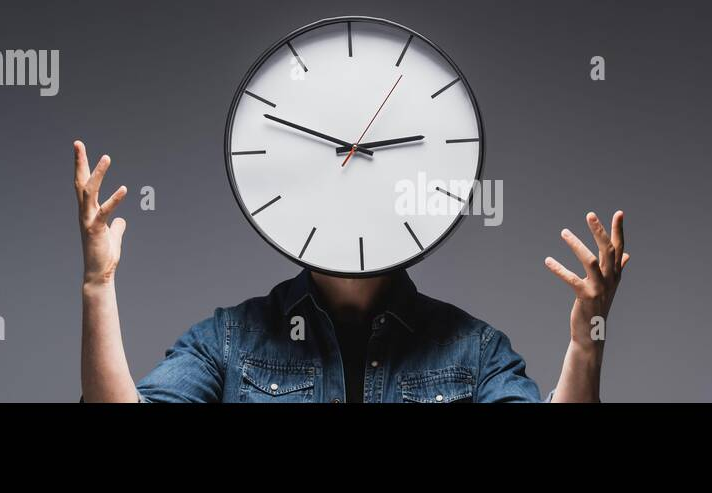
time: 2:48
